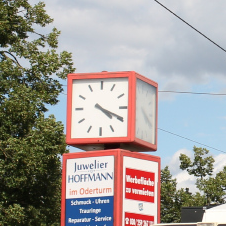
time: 4:19
